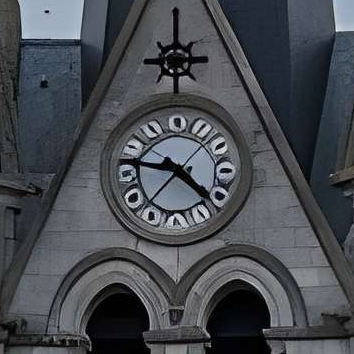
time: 9:22
